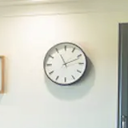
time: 11:11
